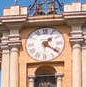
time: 1:21
